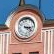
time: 3:21
